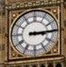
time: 3:14
